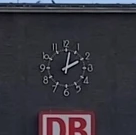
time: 2:01
